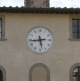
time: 5:43
